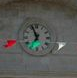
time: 6:56
